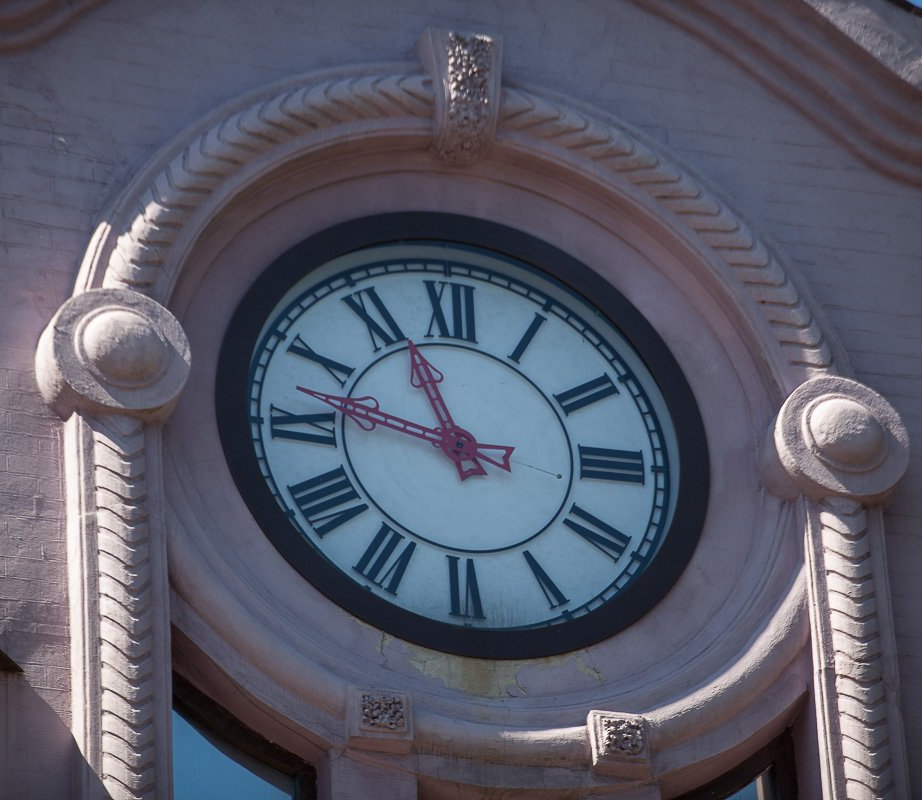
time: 10:46
